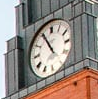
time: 10:55
